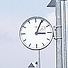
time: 3:04
